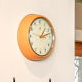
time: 1:12
